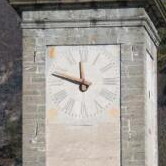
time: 11:47
